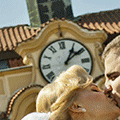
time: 1:09
